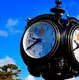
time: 9:40
